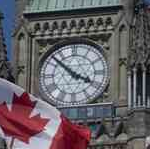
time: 3:52
